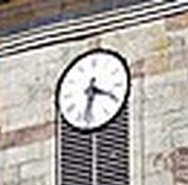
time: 3:32
